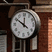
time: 11:50
